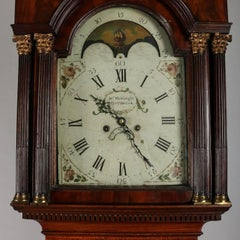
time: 10:24
